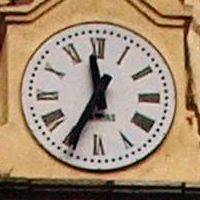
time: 11:35
